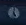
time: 5:01
